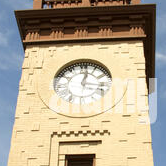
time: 12:16
